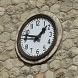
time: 1:47
